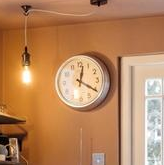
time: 12:20
